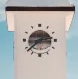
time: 2:38
